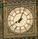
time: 8:03
